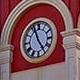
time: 4:56
